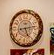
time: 5:13
